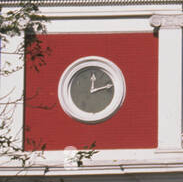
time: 12:12
